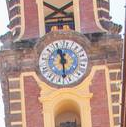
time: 11:28
